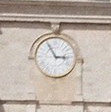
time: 2:55
